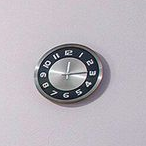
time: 12:14
